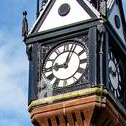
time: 9:03
